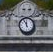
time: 11:55
